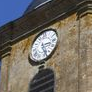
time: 3:24
